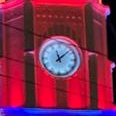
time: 11:07
